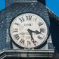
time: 3:26
